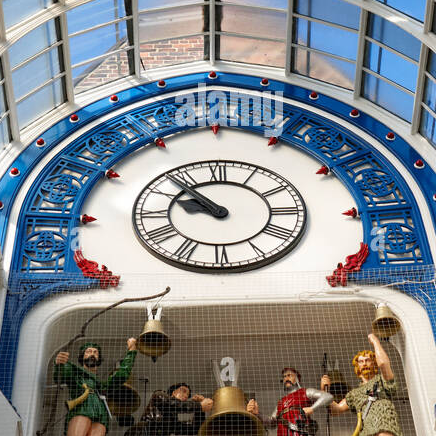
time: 9:53
